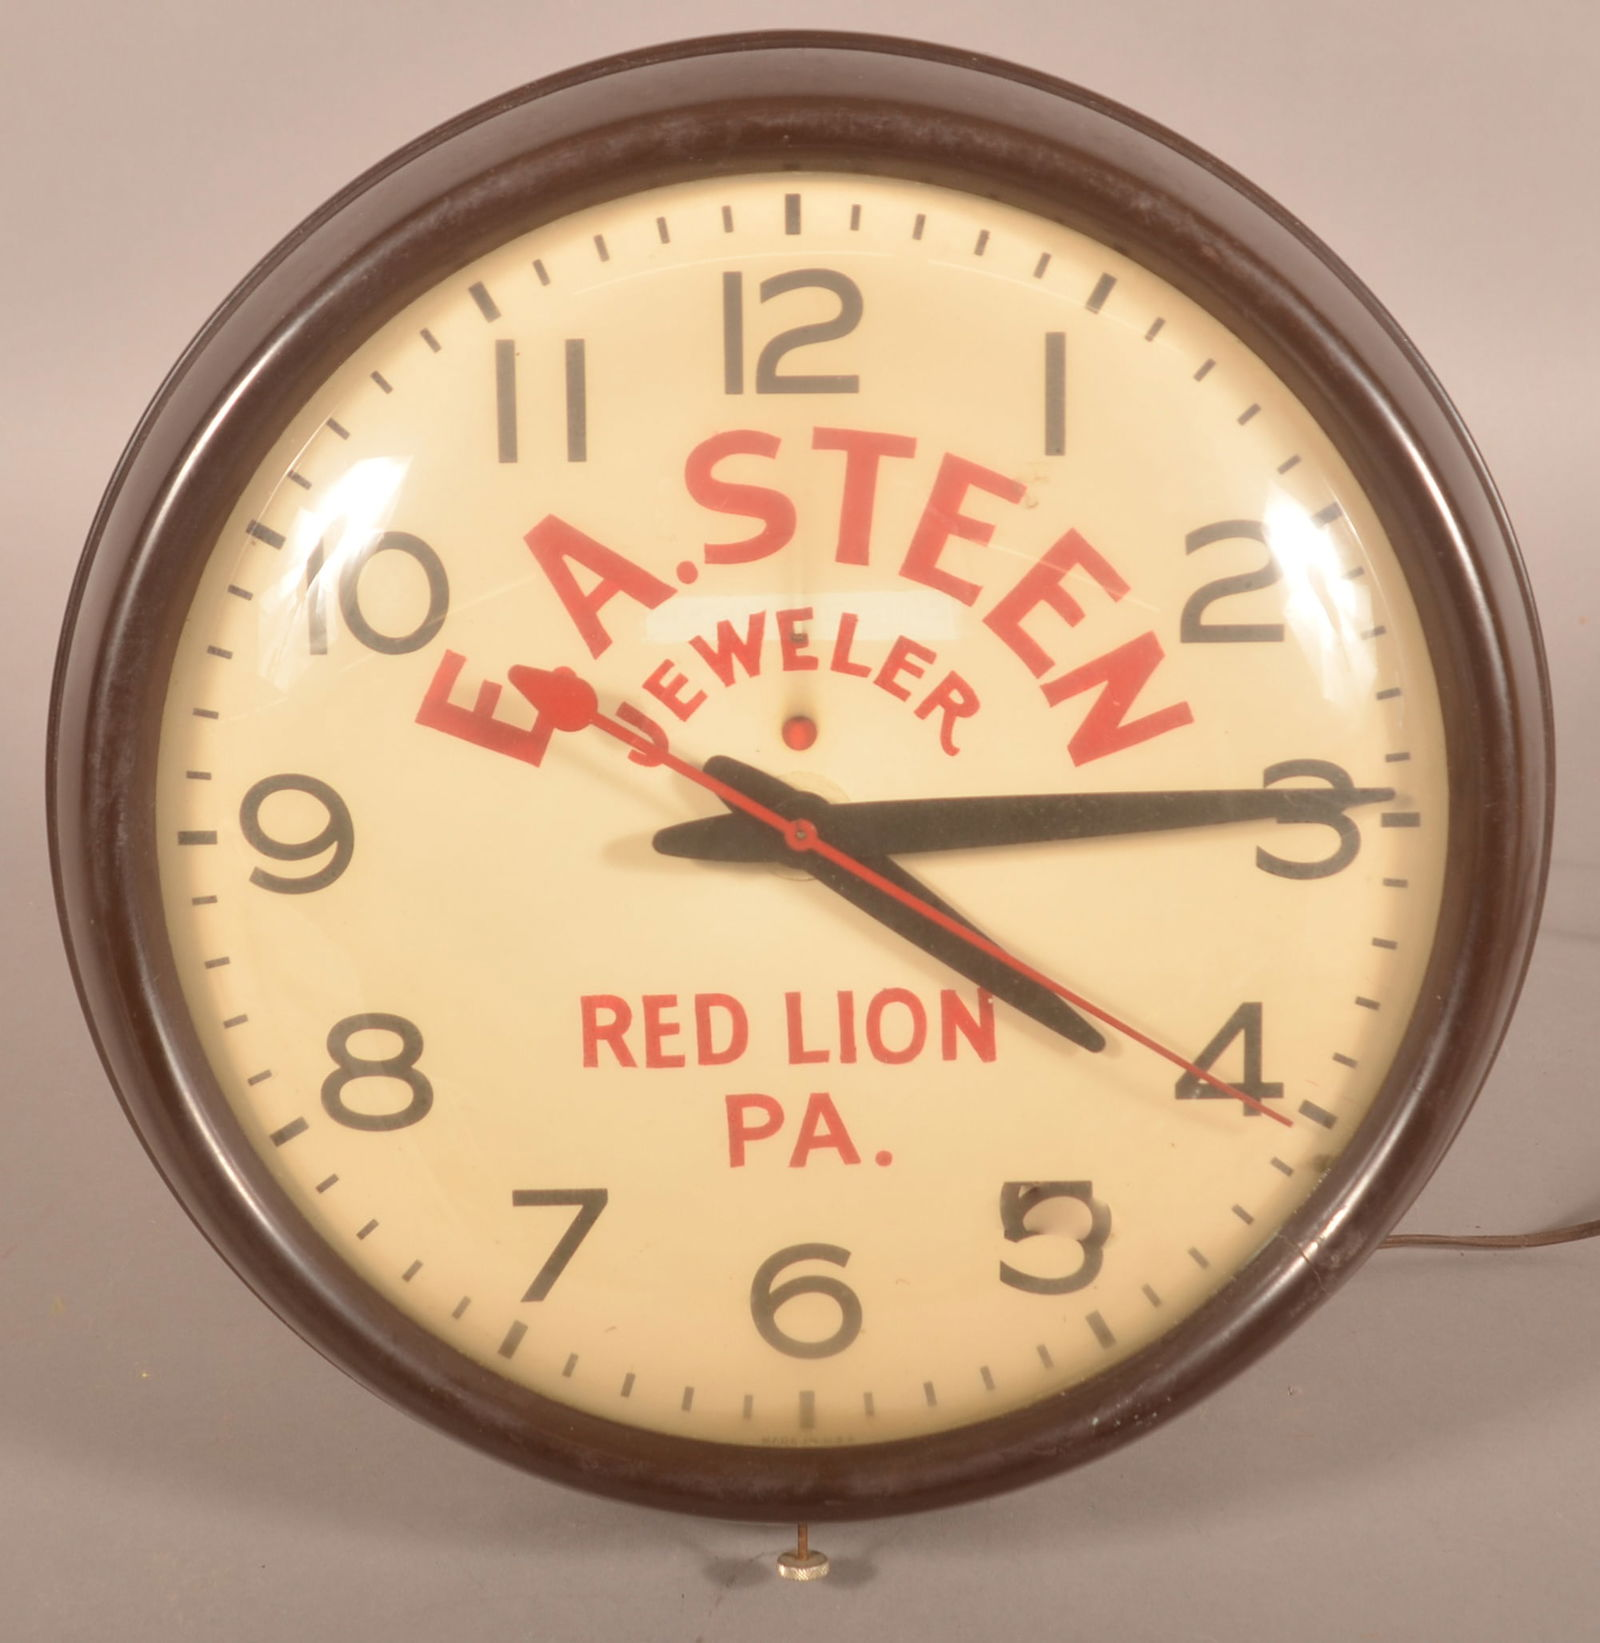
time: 4:14
